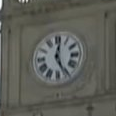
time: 12:26
